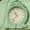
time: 10:37
